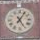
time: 5:05
